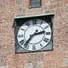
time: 2:36
